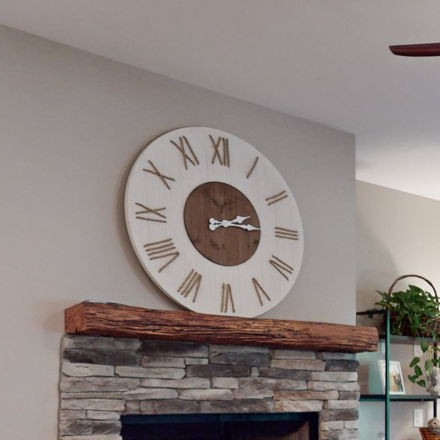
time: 2:14
